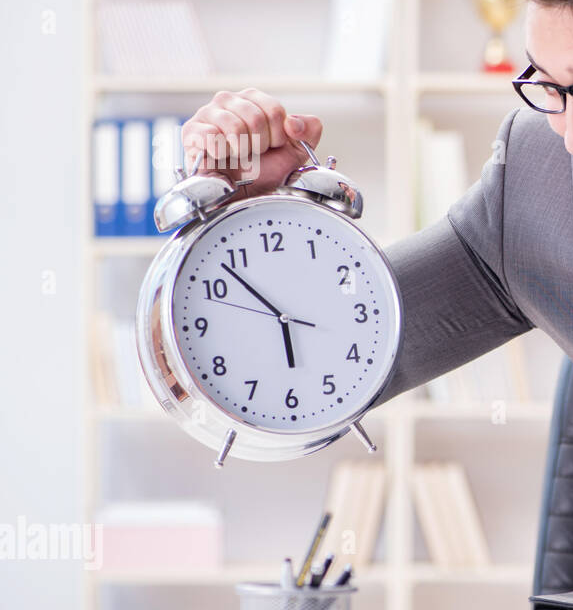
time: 5:53
